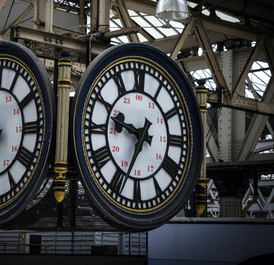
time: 9:34
